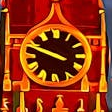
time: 9:48
